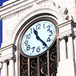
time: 11:23
